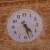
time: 4:27
